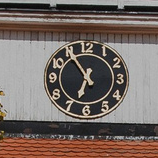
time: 6:54
